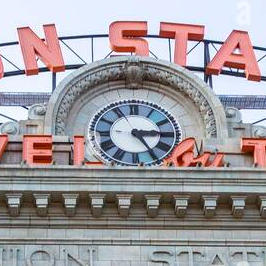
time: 3:24
